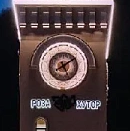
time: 5:09
